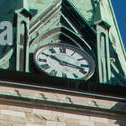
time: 10:17
